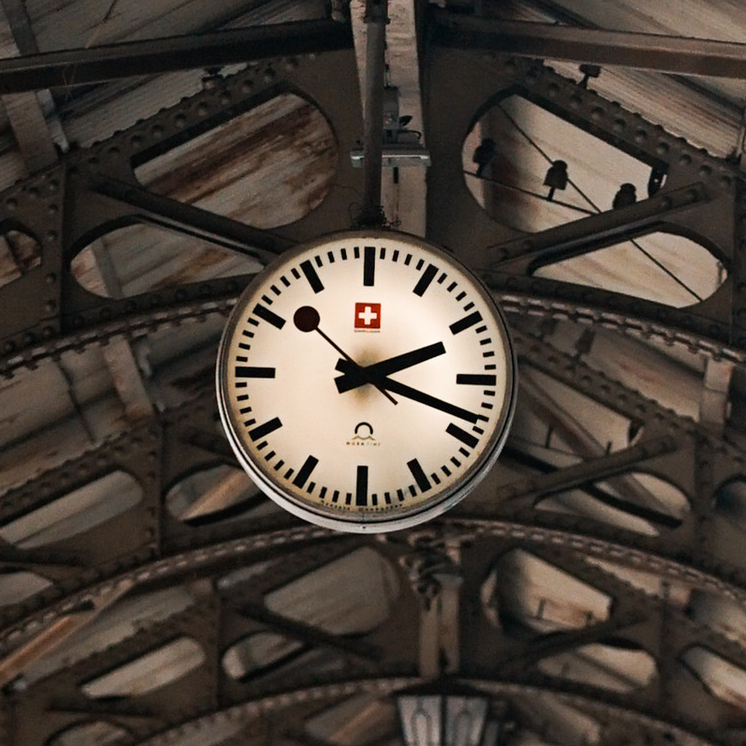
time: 2:18
